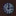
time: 12:13
